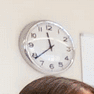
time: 11:38
